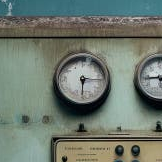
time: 6:15
